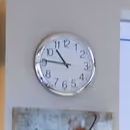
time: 10:46
